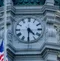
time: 4:30
